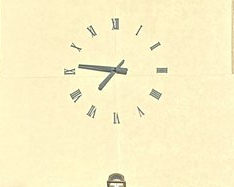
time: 7:46
